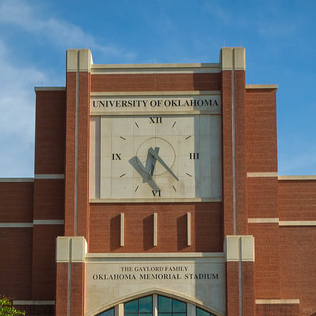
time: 6:23
